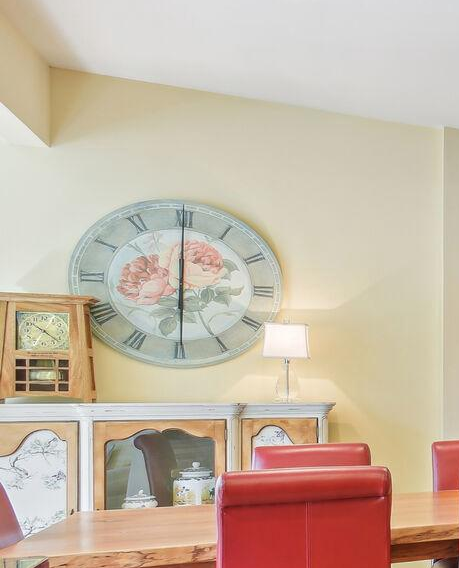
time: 6:00
